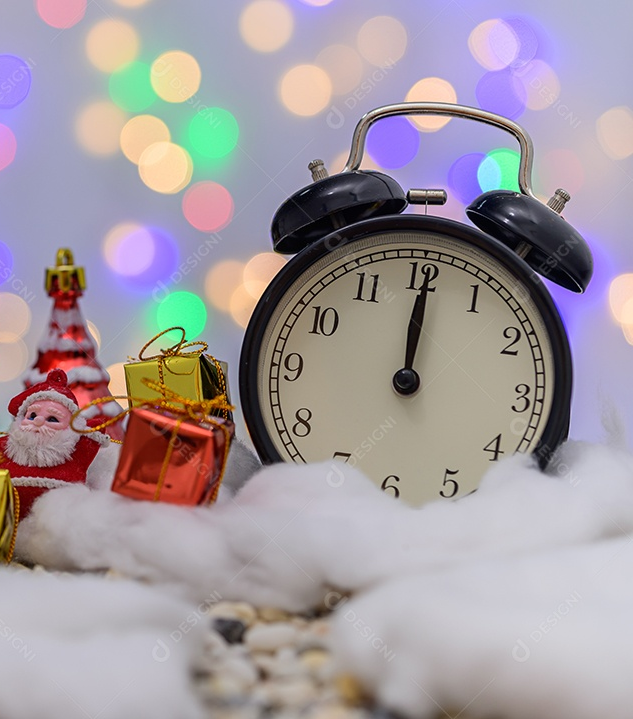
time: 12:00
